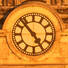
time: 4:52
